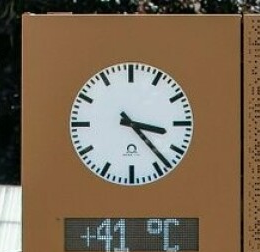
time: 3:23
